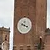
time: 3:48
